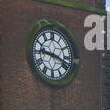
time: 9:17
